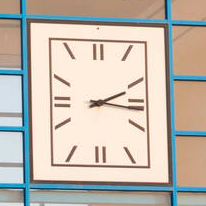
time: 2:16
